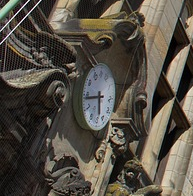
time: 5:44
